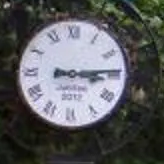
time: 3:14
